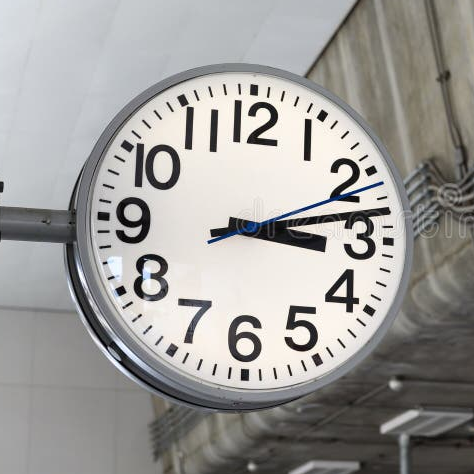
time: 3:13
